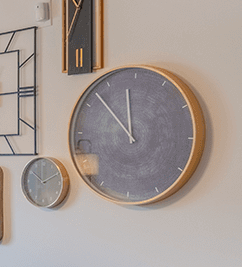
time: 11:52
